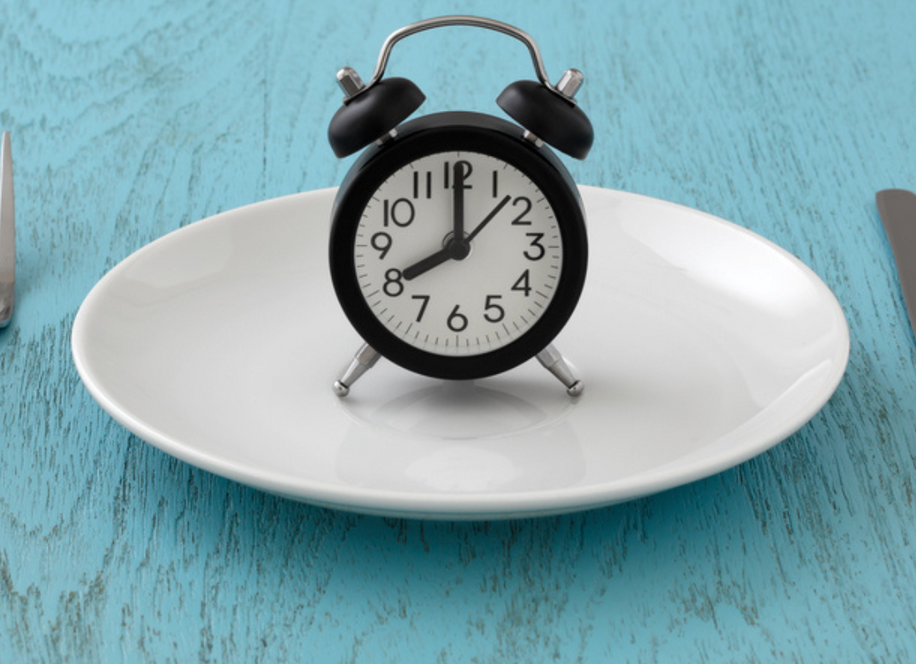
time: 8:00
